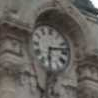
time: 6:13
